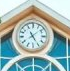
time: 5:08
